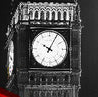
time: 10:04
